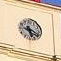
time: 5:18
